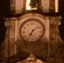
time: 7:09
